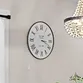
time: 3:19
